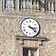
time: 3:21
